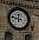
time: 11:46
